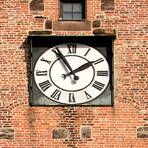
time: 1:55
